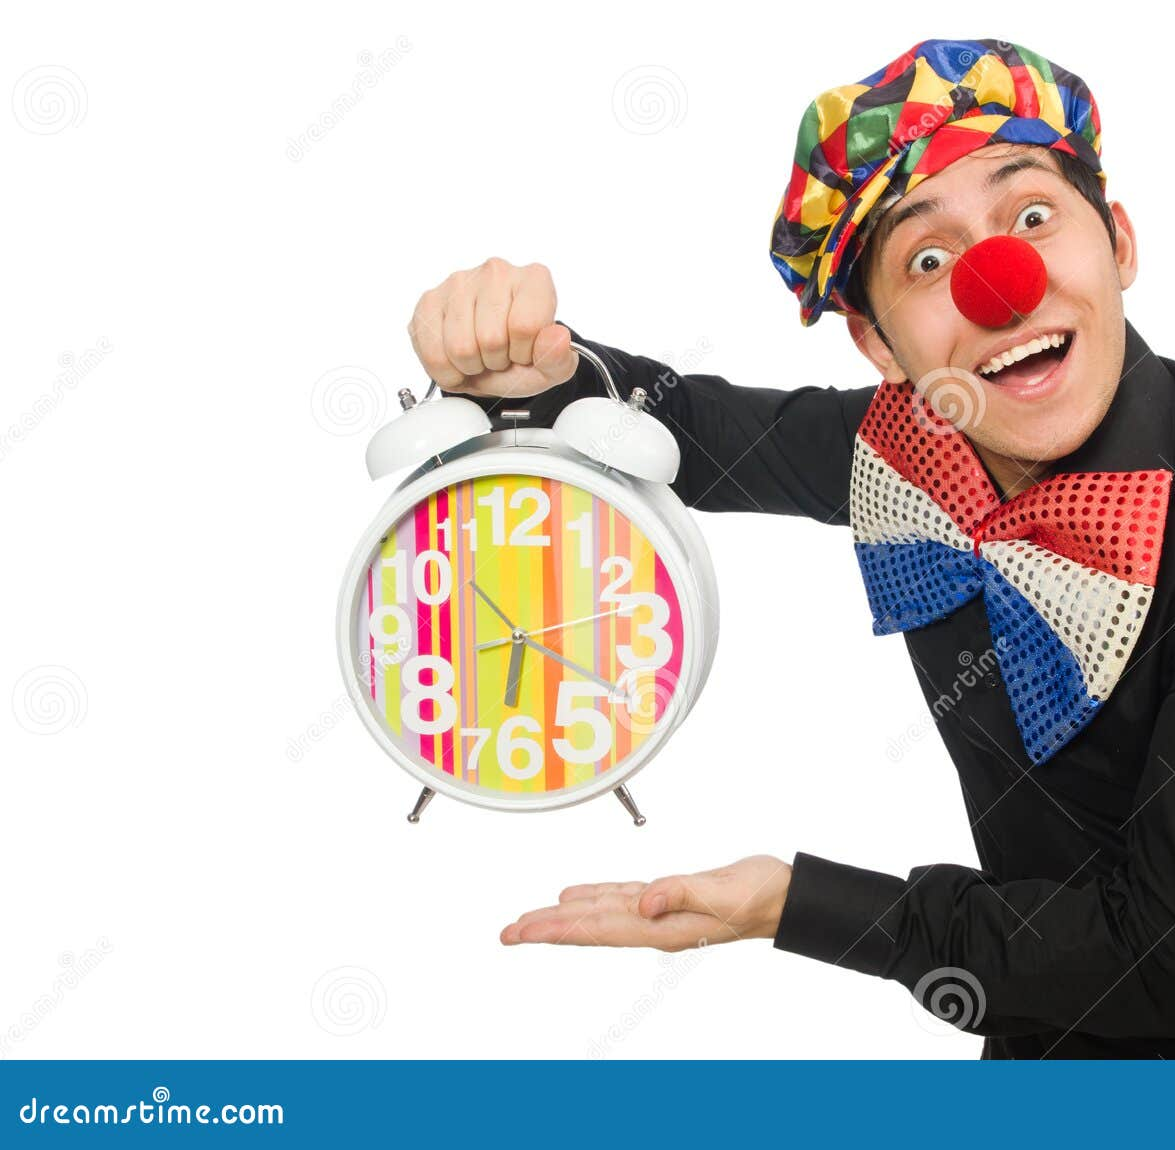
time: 6:20
